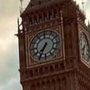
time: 7:35
